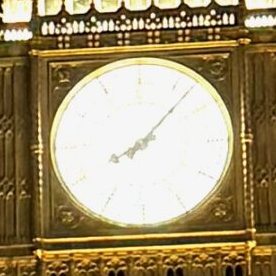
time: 8:07
